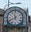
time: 11:40
